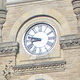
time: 8:47
